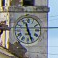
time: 11:26
